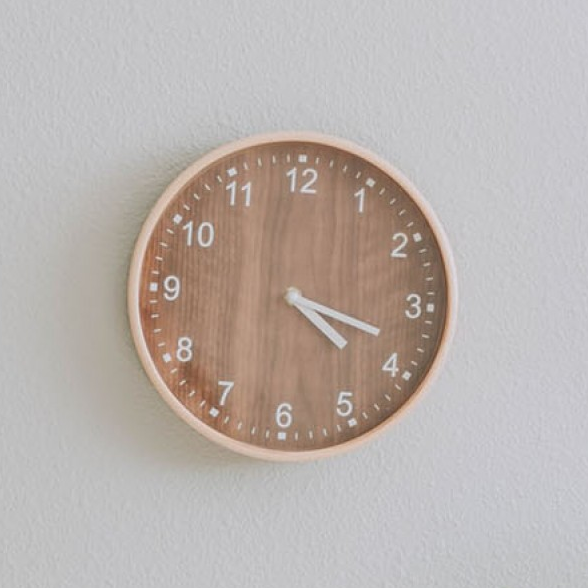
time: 4:18
